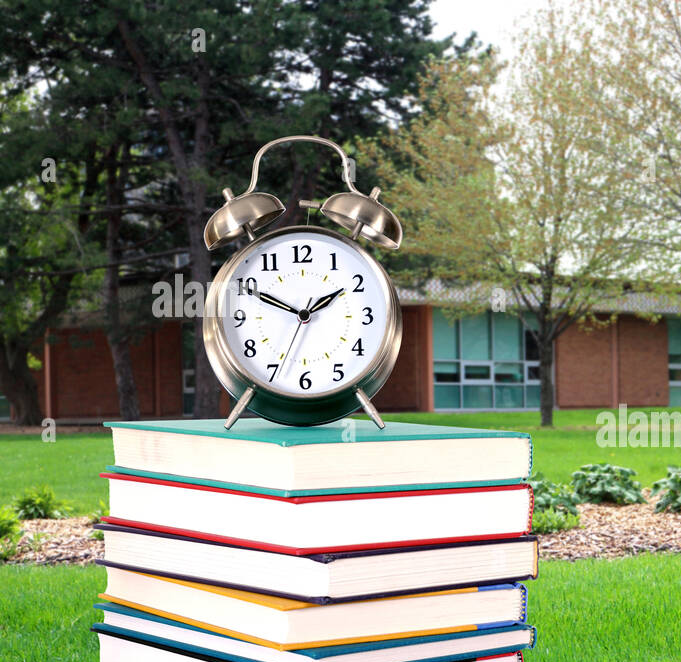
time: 1:49
